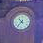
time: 10:36
